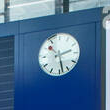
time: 2:28
